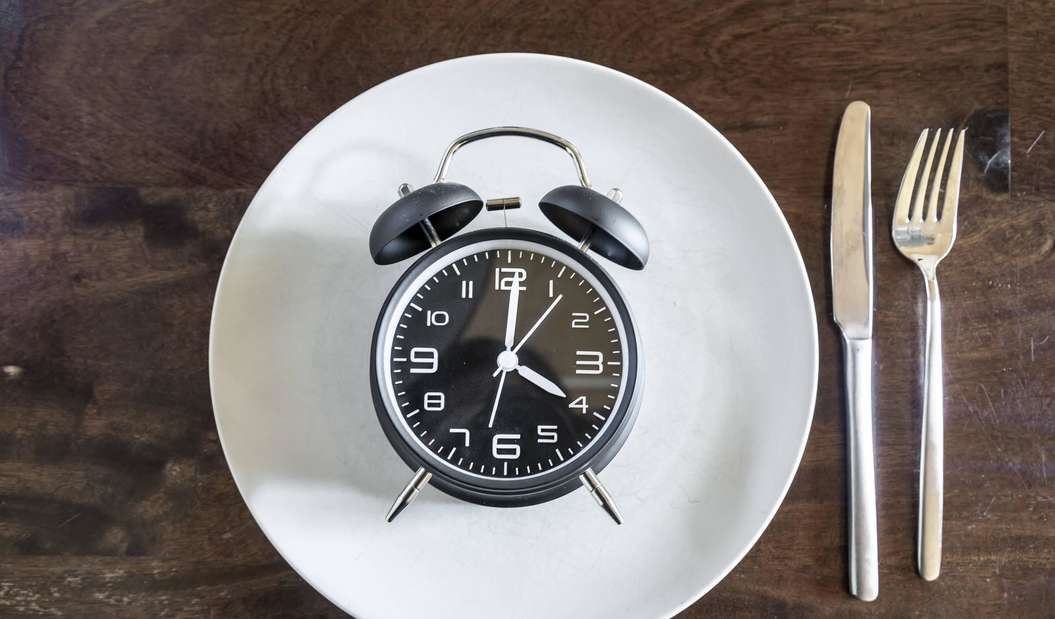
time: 4:01
